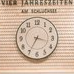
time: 3:34
